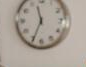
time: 11:34
